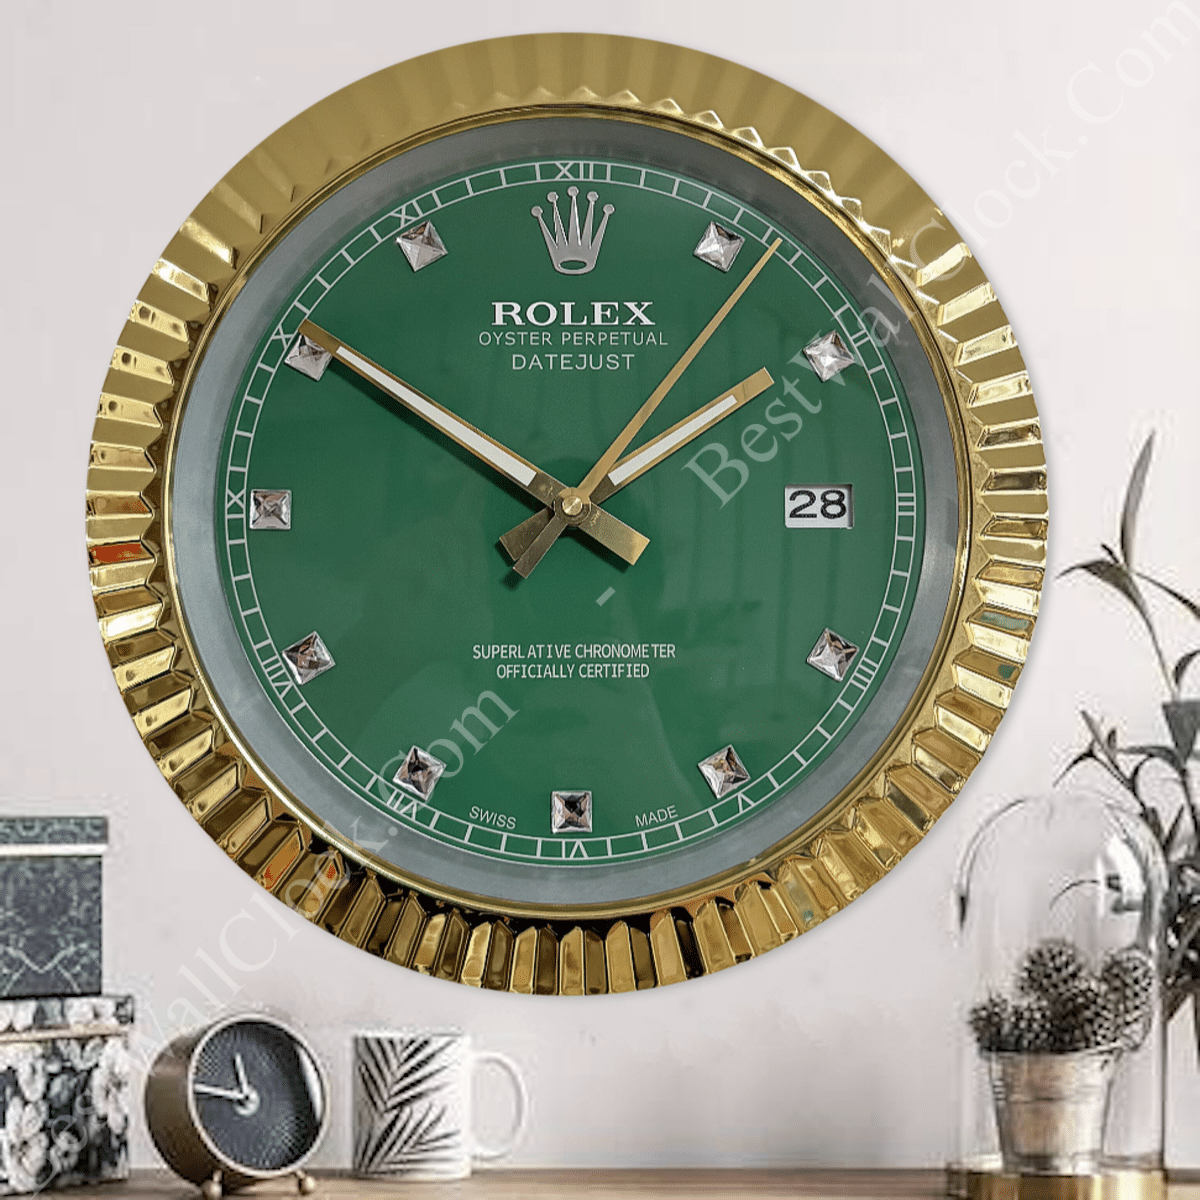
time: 1:50
